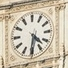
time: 4:31
